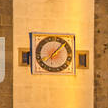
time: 7:07
